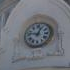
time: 12:47
